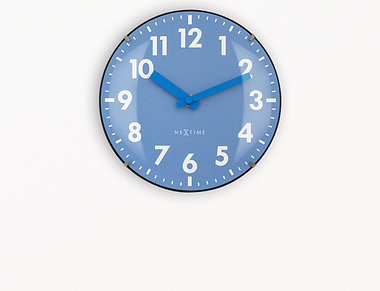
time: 10:11
